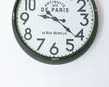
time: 9:21
